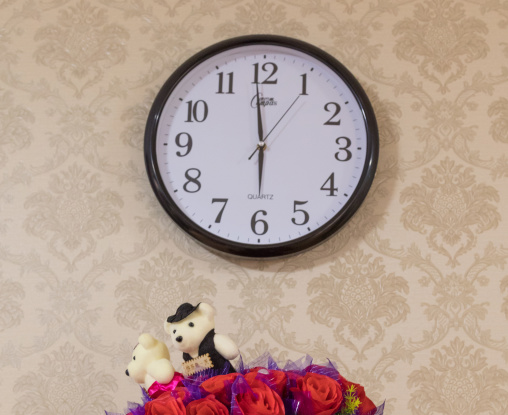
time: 5:59
